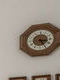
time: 3:24
